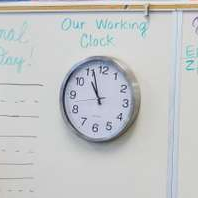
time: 10:56
